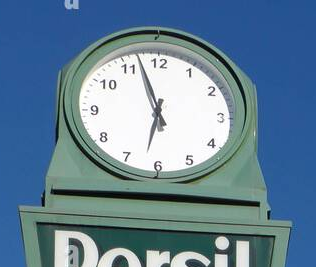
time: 5:57
